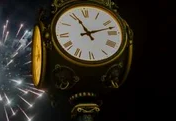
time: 11:12
